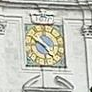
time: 4:49
